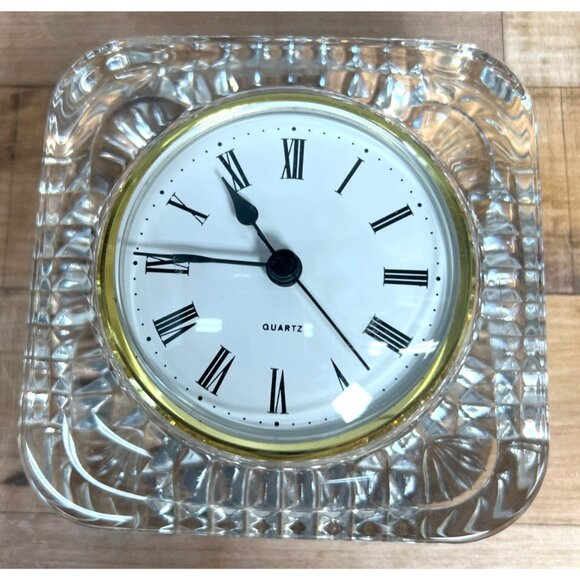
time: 10:45
